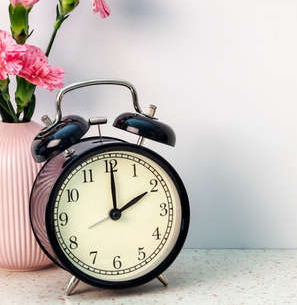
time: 2:00
